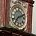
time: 7:11
